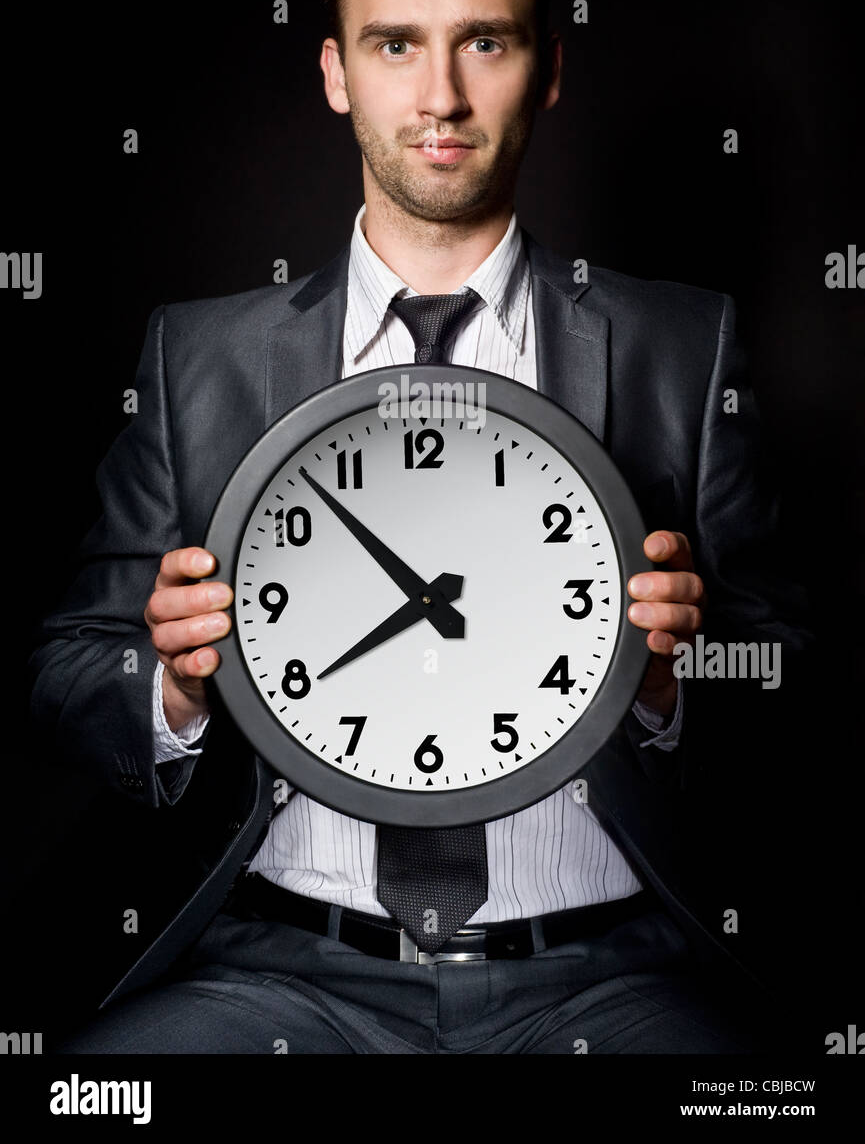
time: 7:52
